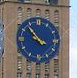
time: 3:52
